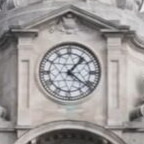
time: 1:21
